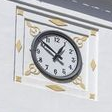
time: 12:51
